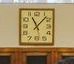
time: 11:07
